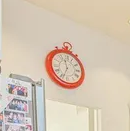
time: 11:33
